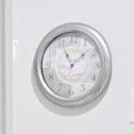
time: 11:08
